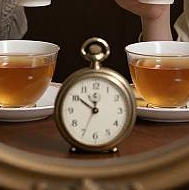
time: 11:50
